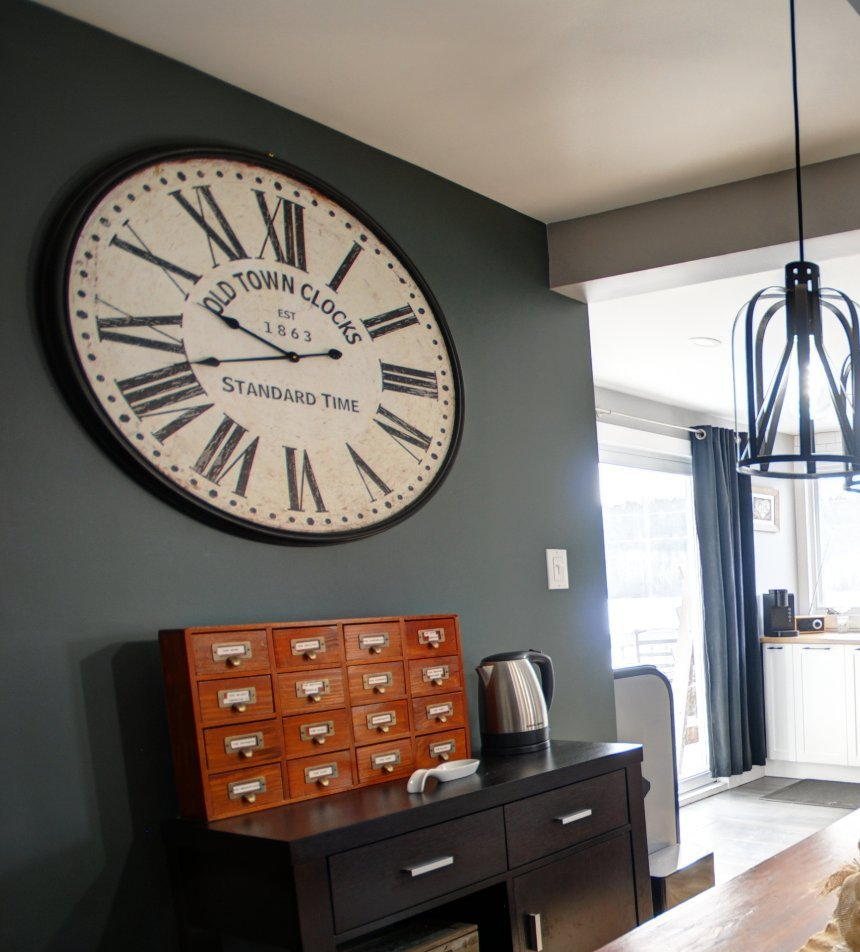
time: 9:42
